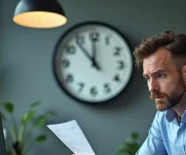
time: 11:53
